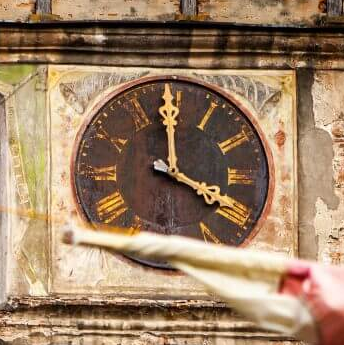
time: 3:59
